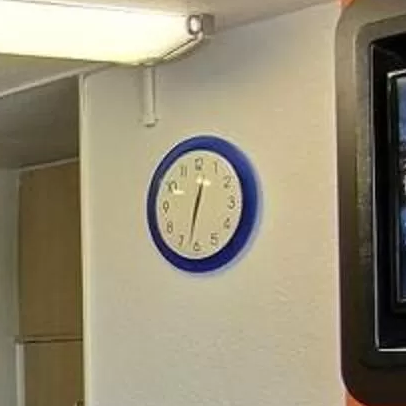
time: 12:32
